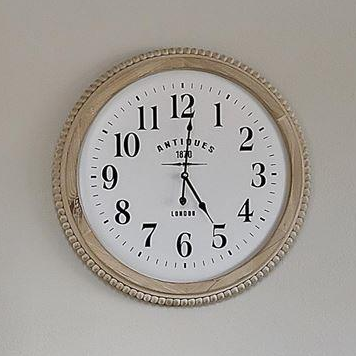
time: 5:01
